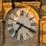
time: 7:19
